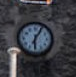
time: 6:04
